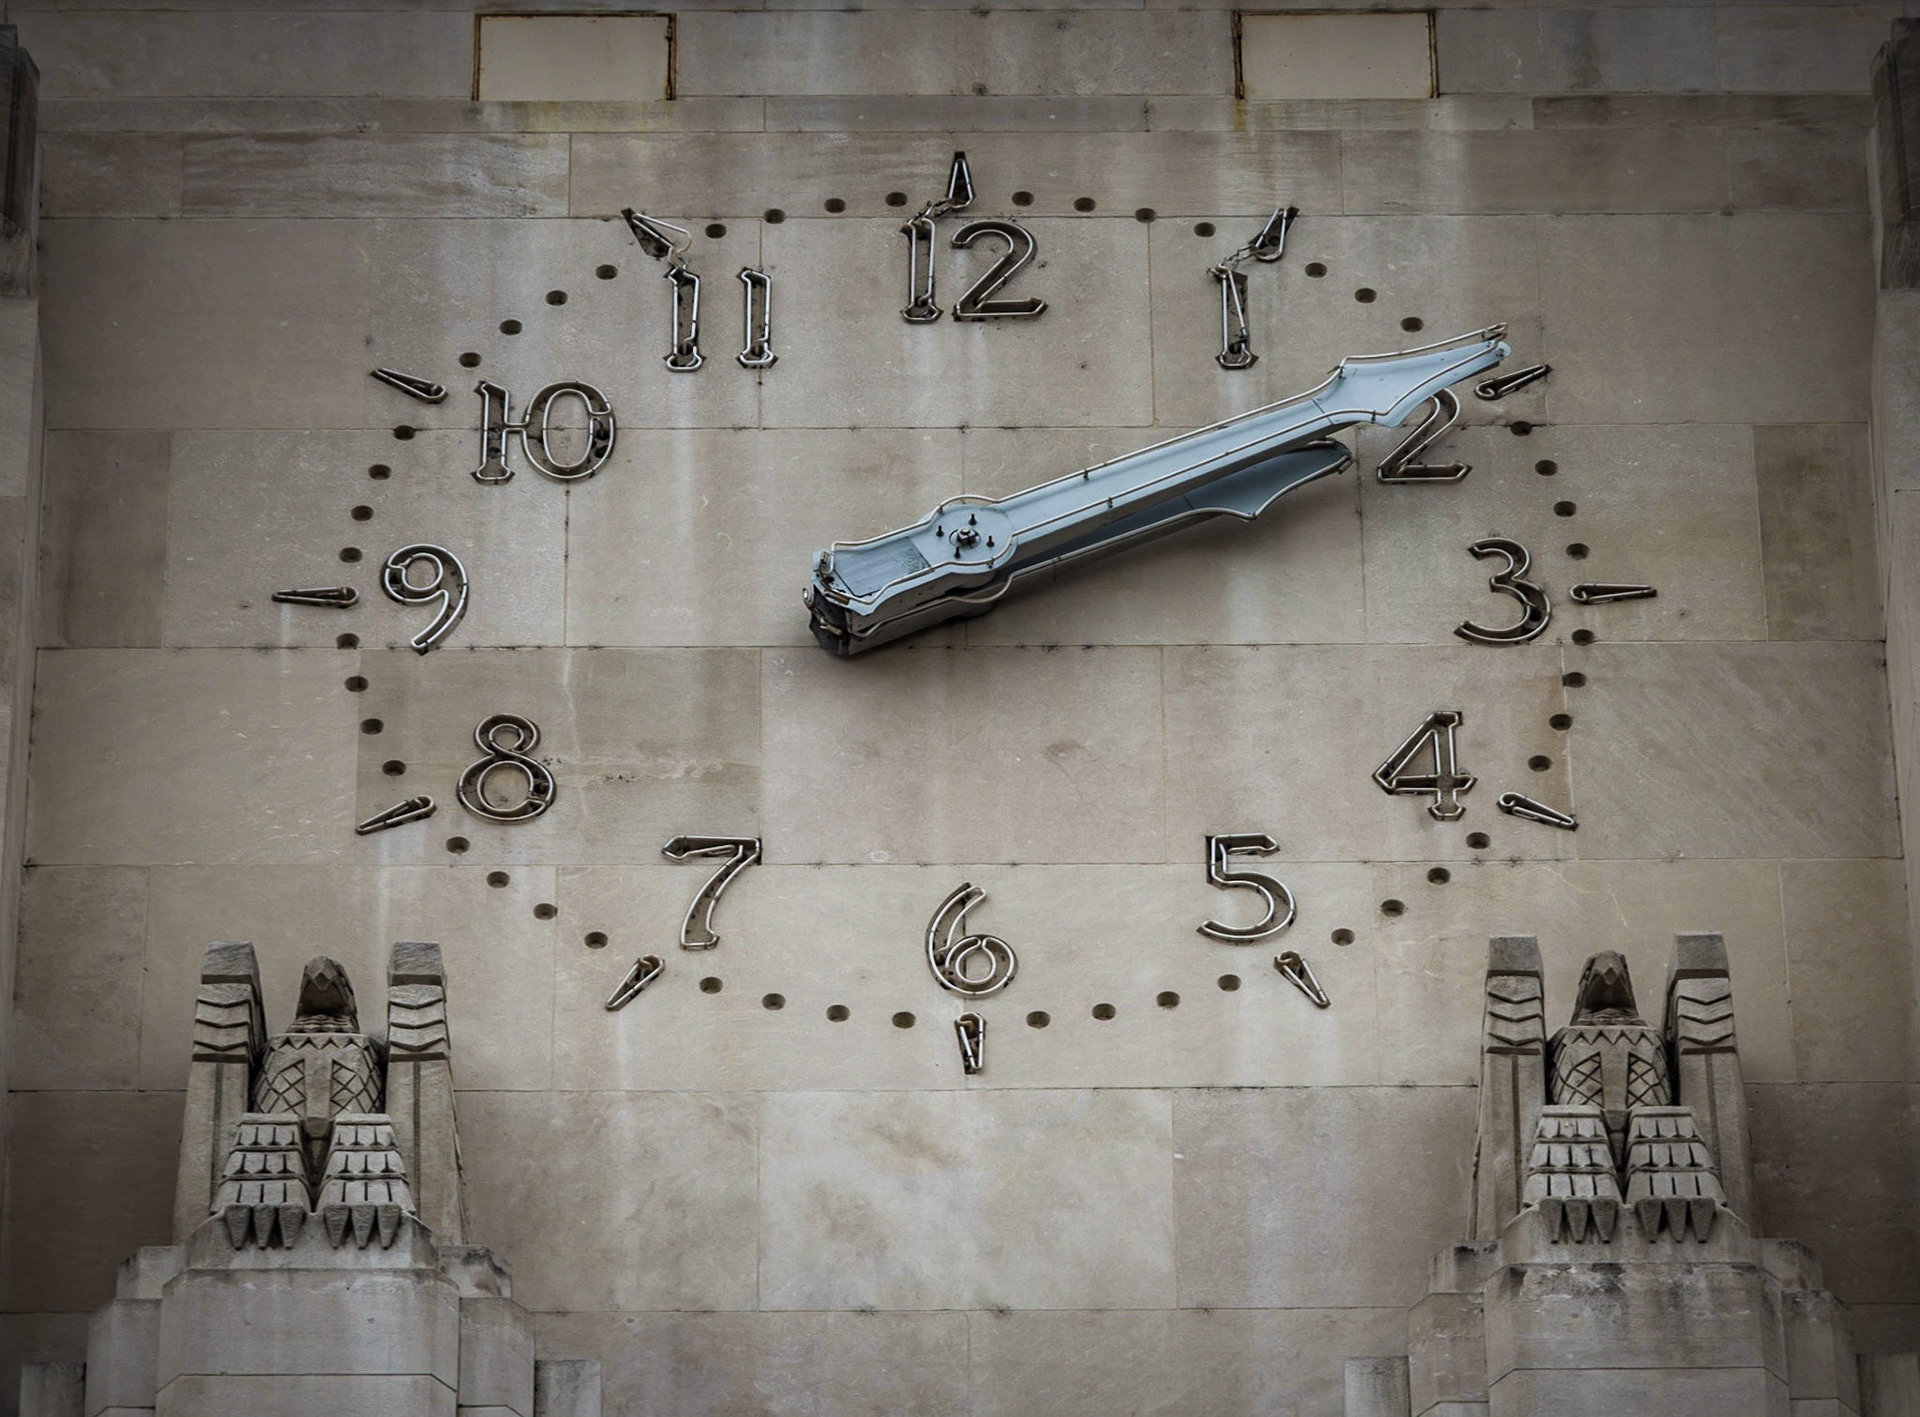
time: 2:09
